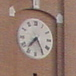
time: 7:24
